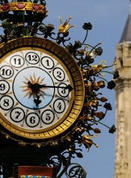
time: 5:14
